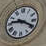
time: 9:19
